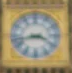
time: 3:42
